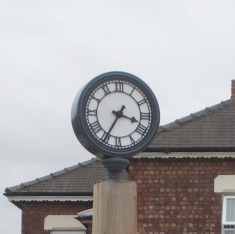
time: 3:34
